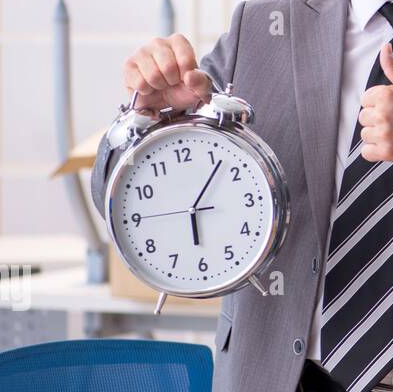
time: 6:06
